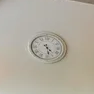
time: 4:28
